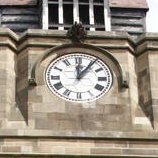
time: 12:06
